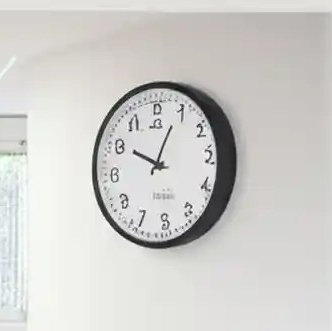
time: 10:04
